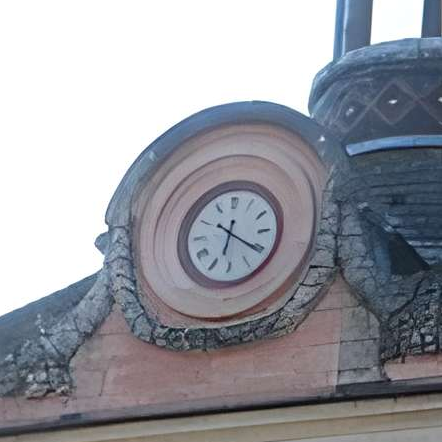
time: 10:20
